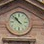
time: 10:52
